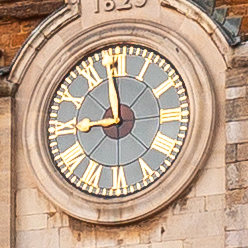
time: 8:58
